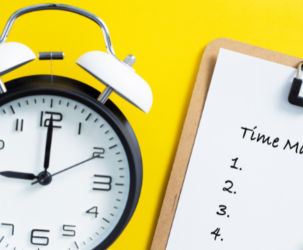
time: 9:00
